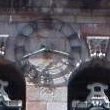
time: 8:17
